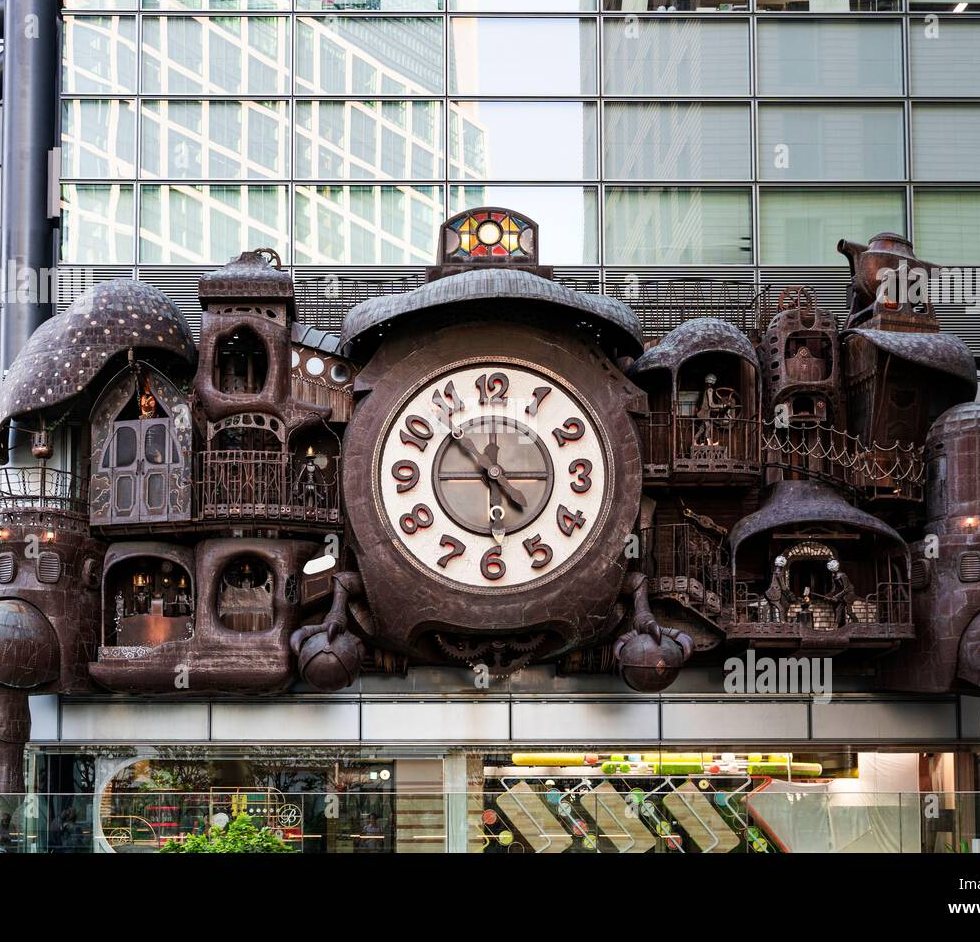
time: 4:52
